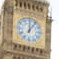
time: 12:05
